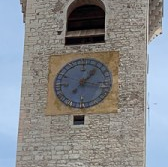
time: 1:16
